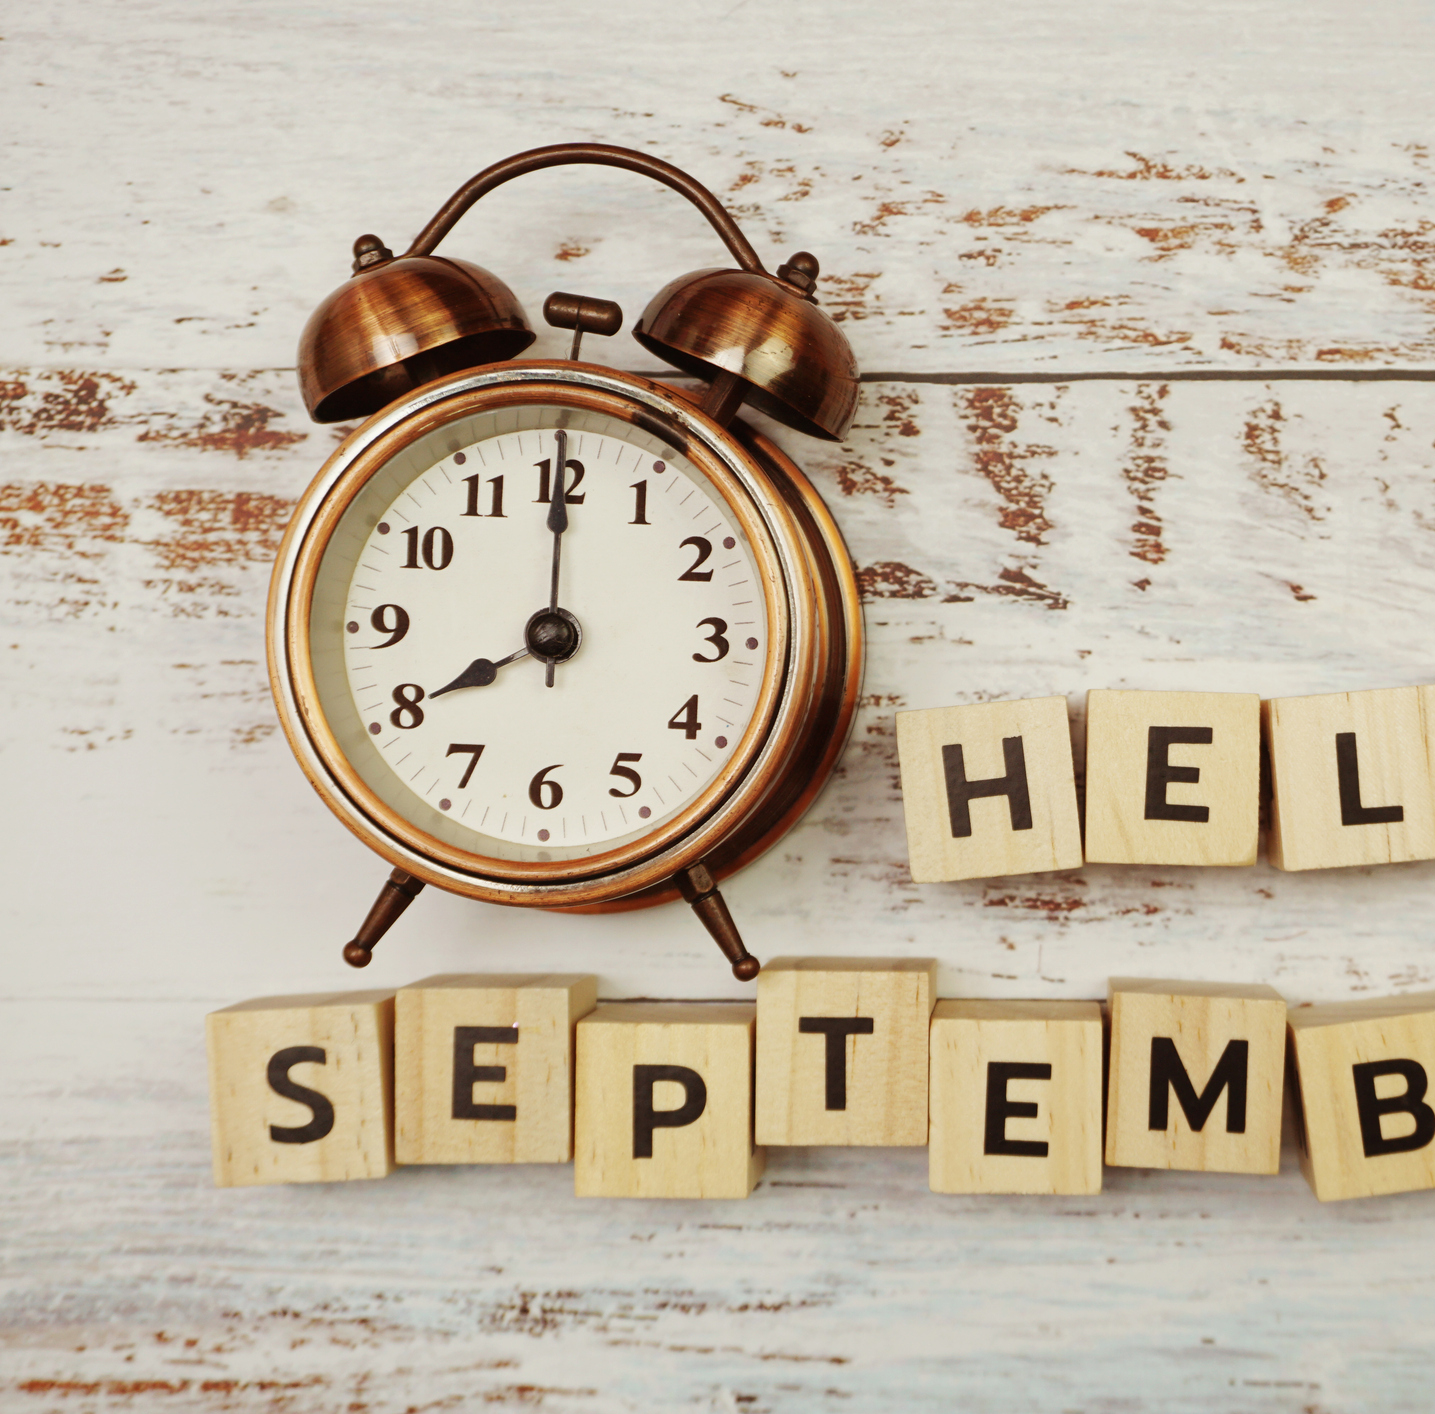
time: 8:00
